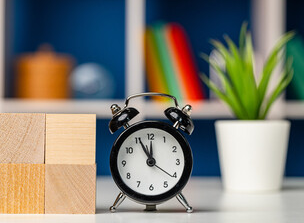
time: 11:55
